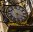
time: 6:18
